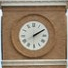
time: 2:09
